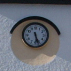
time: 5:26
